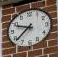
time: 9:38
